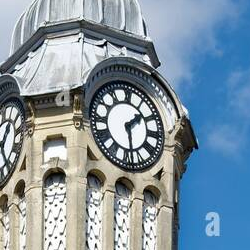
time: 1:28
